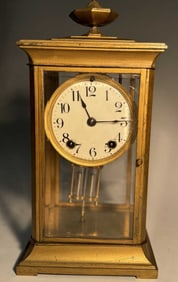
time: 11:14
